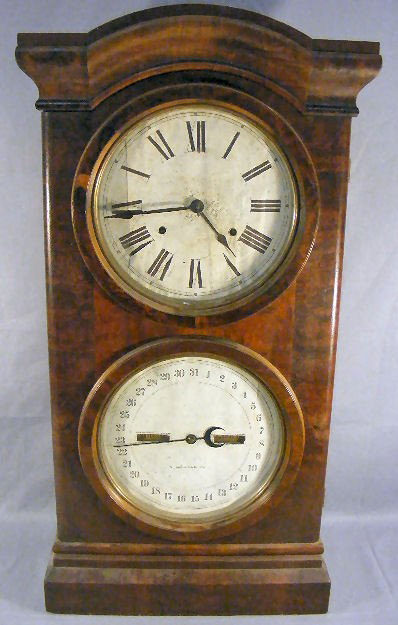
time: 4:44
